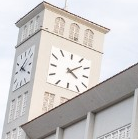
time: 4:07
